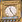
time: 11:24
